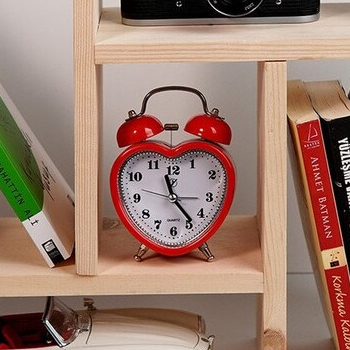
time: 11:23
